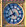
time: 7:54
